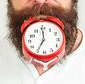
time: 7:00
